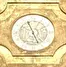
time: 11:26
